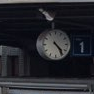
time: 4:23
